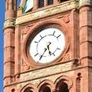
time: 5:35
